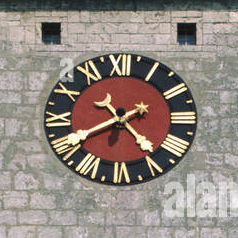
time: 4:40
